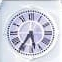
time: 5:35
